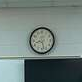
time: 8:27
